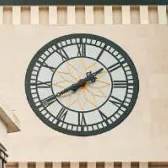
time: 1:40
